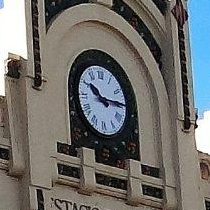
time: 10:14
